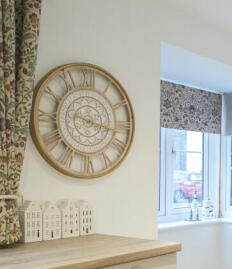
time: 9:17
